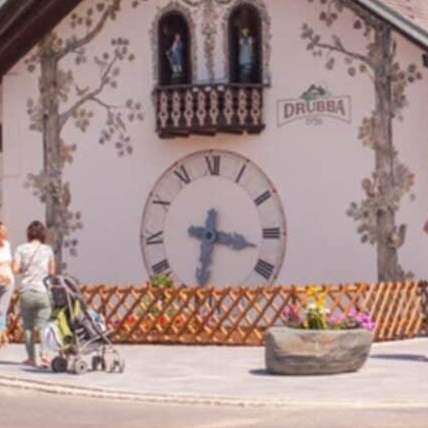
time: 3:32
